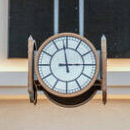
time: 2:58
